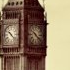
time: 10:21
